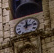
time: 12:12
